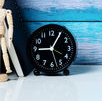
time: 9:04
